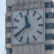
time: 11:39
